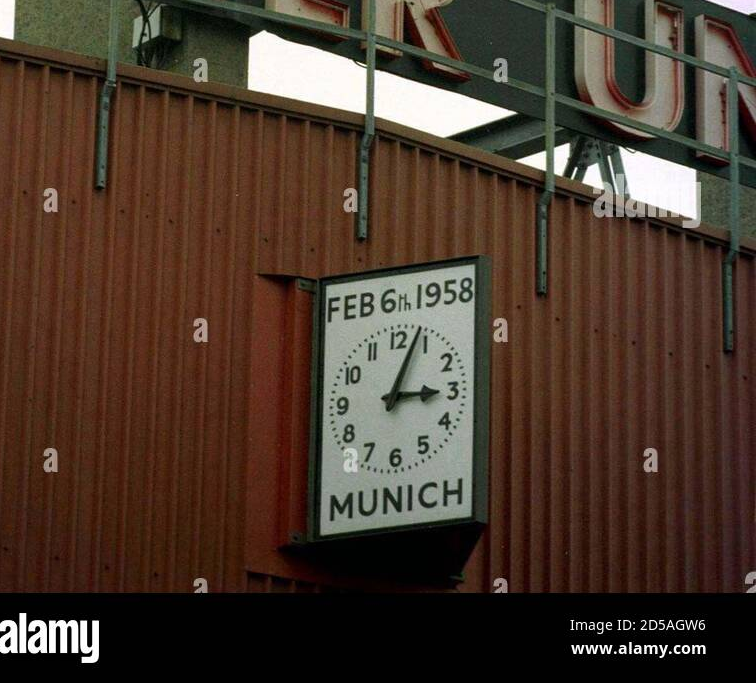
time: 3:04
